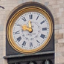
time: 11:49
